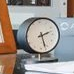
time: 2:27
